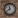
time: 11:38
